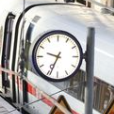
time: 9:34
